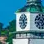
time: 12:23
